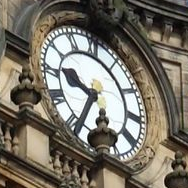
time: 9:34
